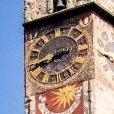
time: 7:41
